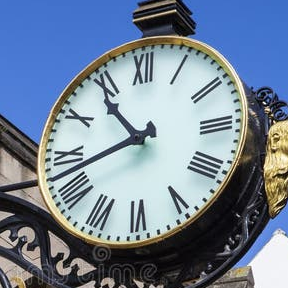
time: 10:42
